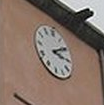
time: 3:09
